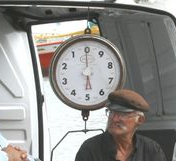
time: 6:00
